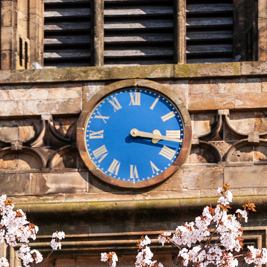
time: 3:17
